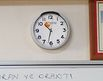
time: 10:32
